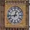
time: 12:43
